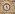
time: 4:59
